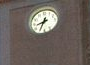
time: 8:34
